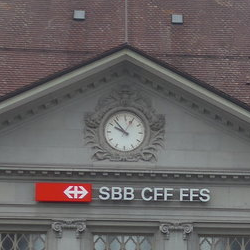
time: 9:53
